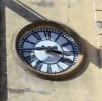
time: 3:44
